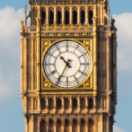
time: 10:34
